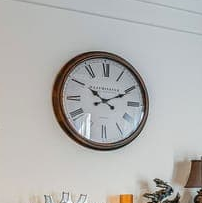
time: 10:10
